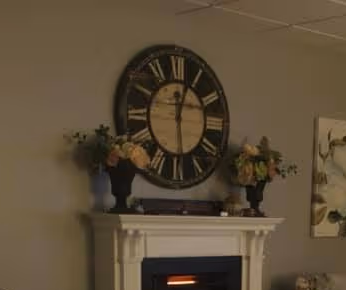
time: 12:28
